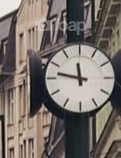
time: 11:46
